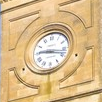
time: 9:17
